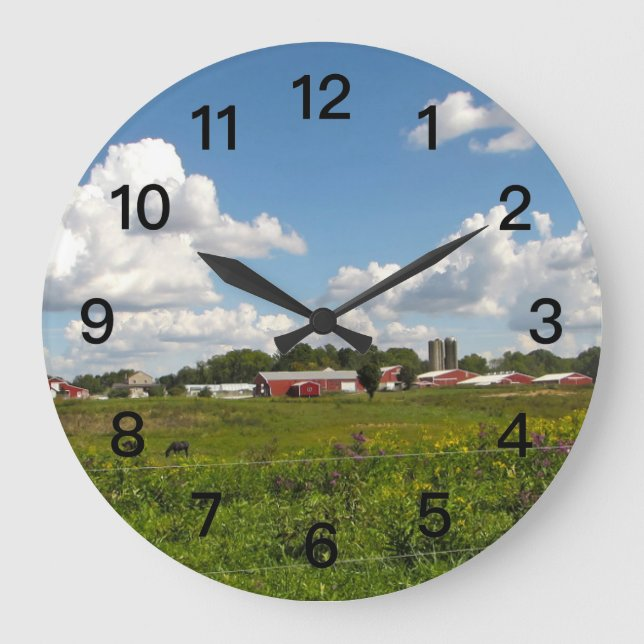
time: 10:09
